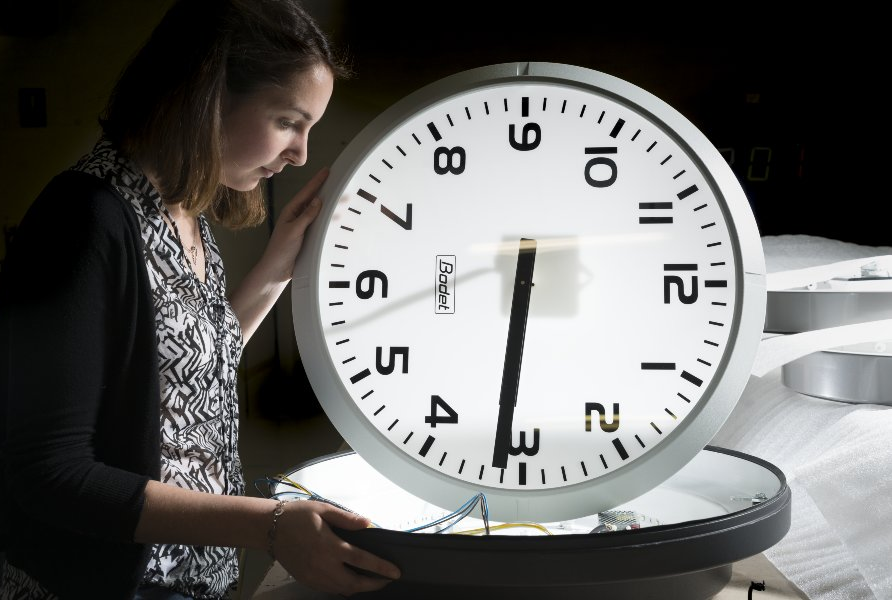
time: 6:31
